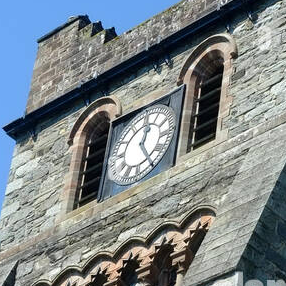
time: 12:24
